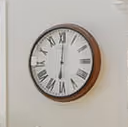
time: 6:00
